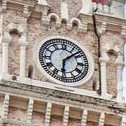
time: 6:08
